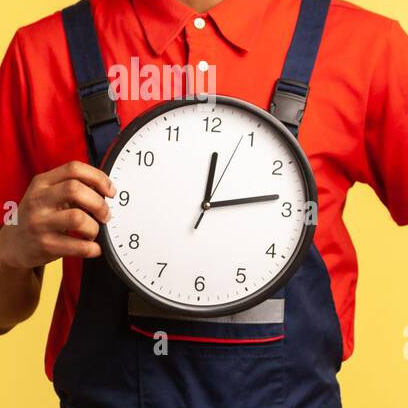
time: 12:13
